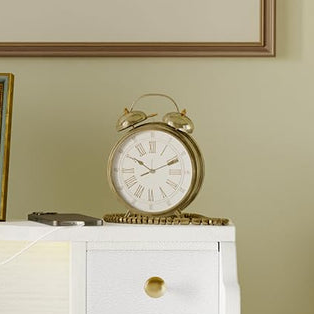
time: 10:11
